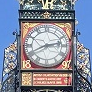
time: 2:40
